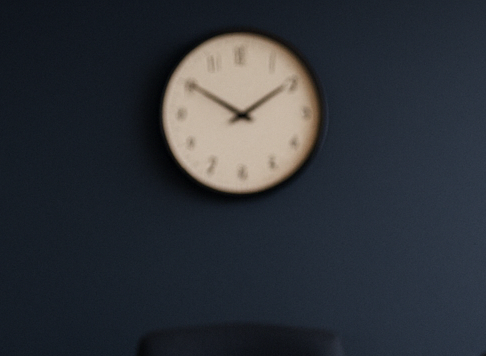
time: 1:50
